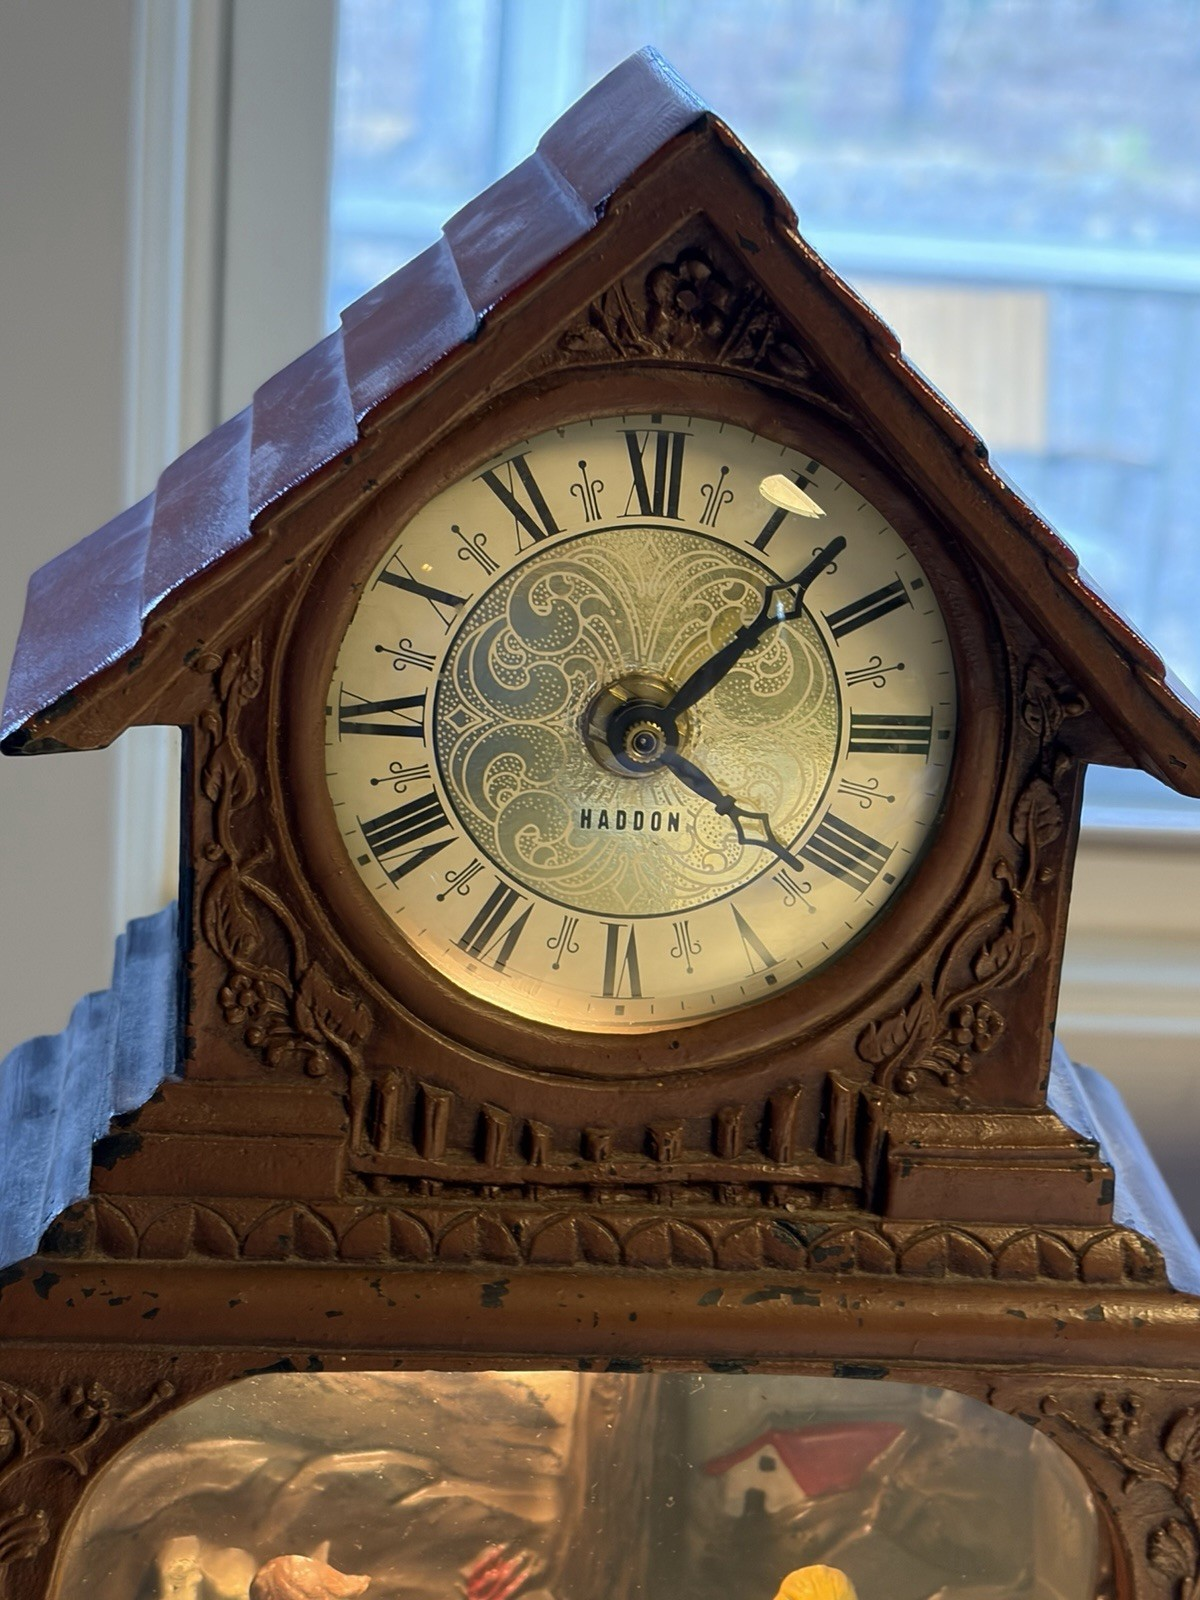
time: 4:07
